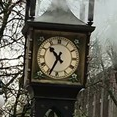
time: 10:34
